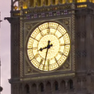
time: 8:32
